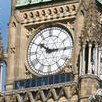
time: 10:14
